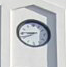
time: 8:40
